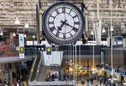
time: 7:19
